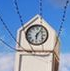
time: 6:06
